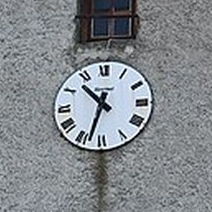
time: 10:32
